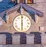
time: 6:00
